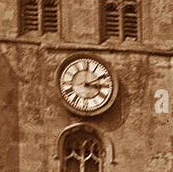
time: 3:10
